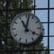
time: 11:02
